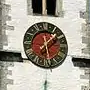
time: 1:28
